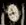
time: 10:42
